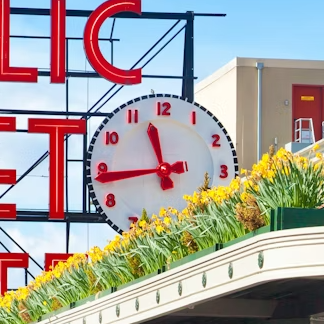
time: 11:43
